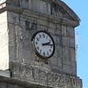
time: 2:13
